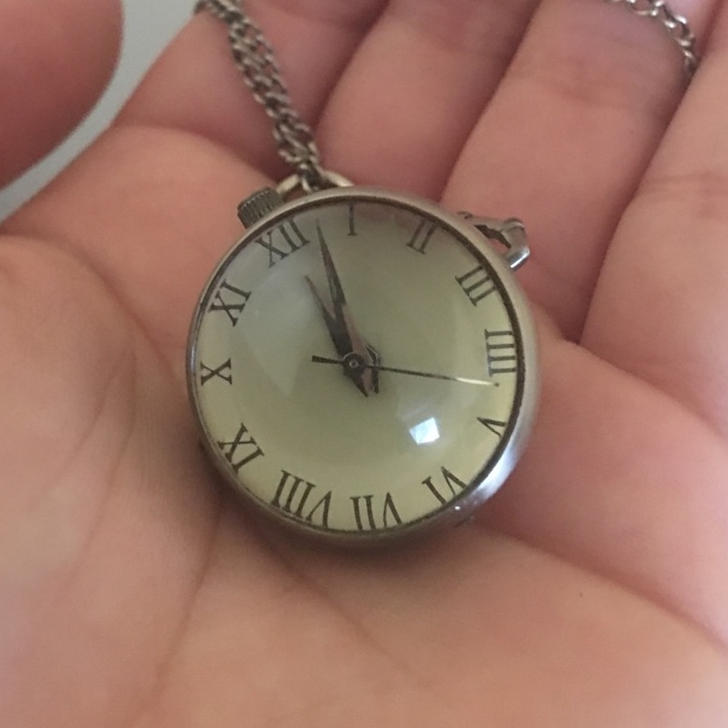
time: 10:57
